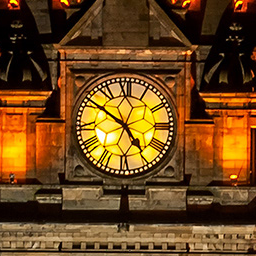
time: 4:50
